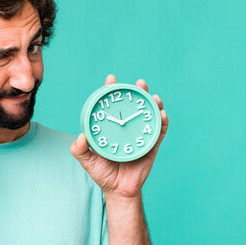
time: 10:12
